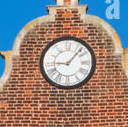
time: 9:07
